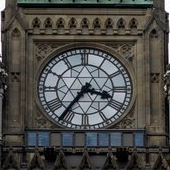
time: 3:35
